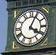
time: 4:04
